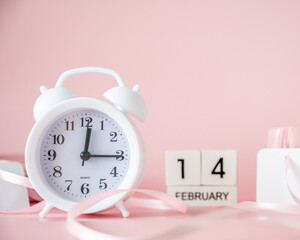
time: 12:15
